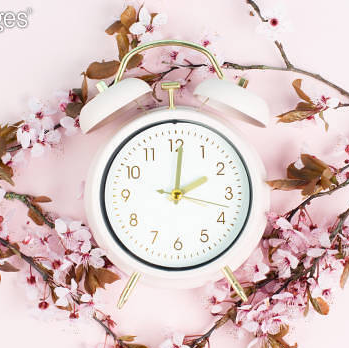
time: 2:01
